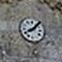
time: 8:07
